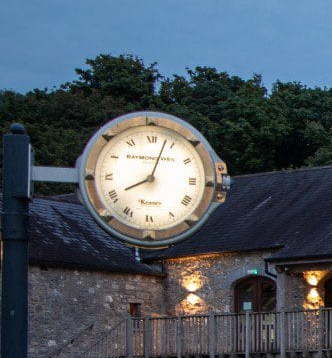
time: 8:03
